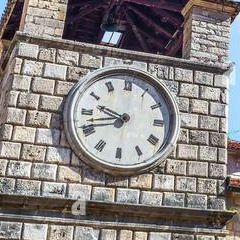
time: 9:42
